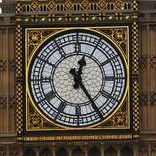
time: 12:24
